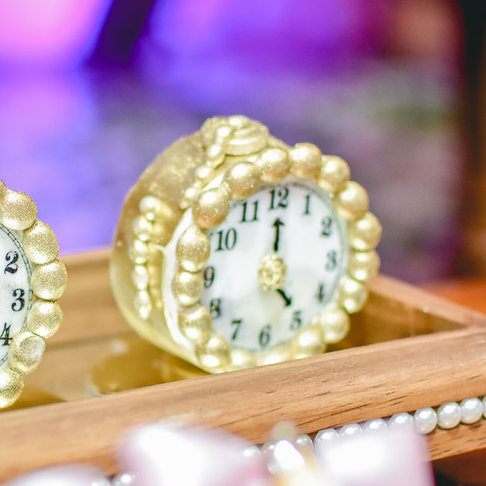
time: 5:00
